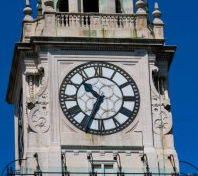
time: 10:34
